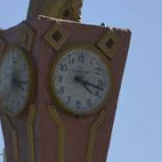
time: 4:17
